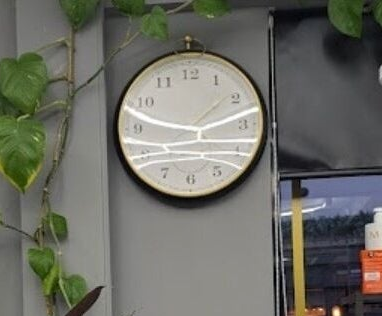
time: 1:47
